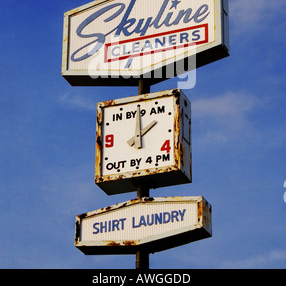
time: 2:00
